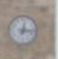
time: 12:16
